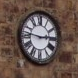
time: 2:46
